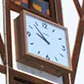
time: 9:53
